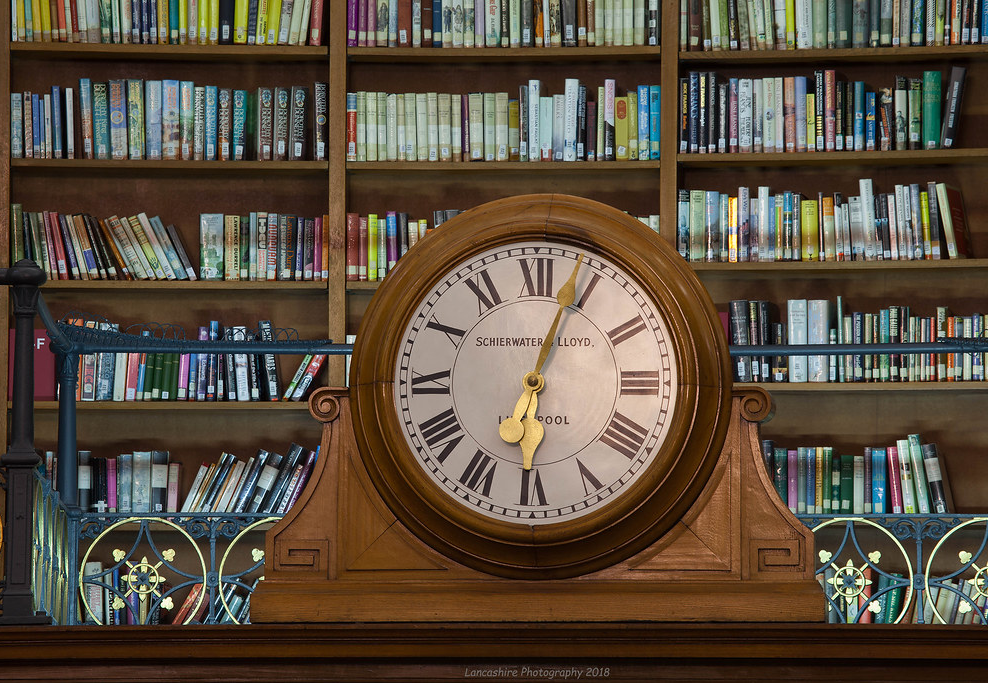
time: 6:03
